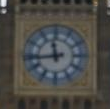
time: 11:43
